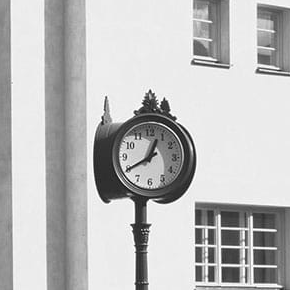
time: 12:40
